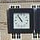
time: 10:53
